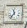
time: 11:35
